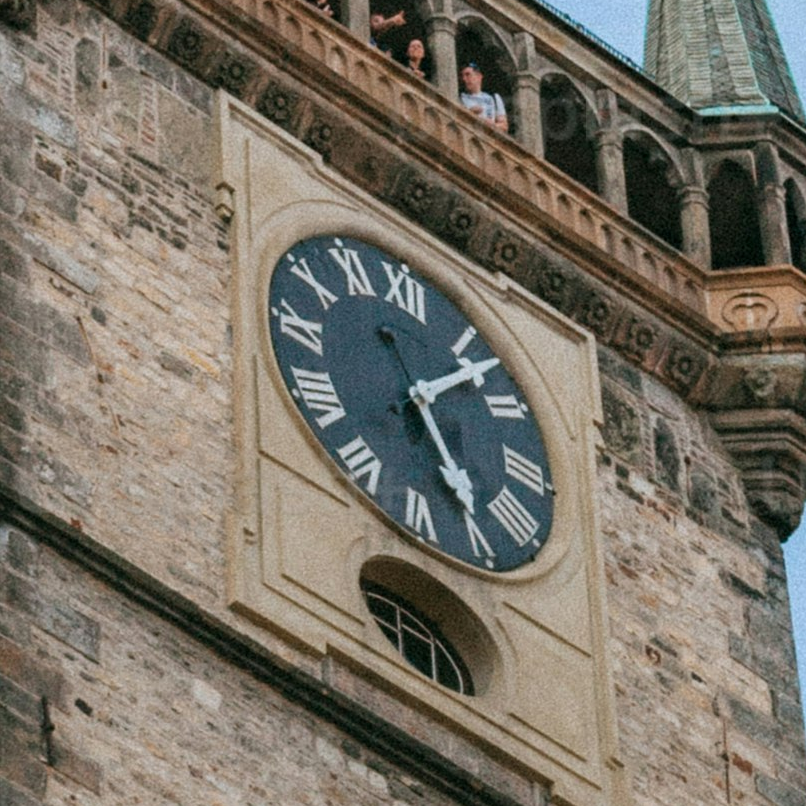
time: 5:07
